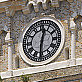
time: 12:30
